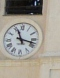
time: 11:17
